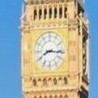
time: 8:16
